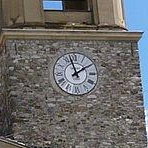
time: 1:57
